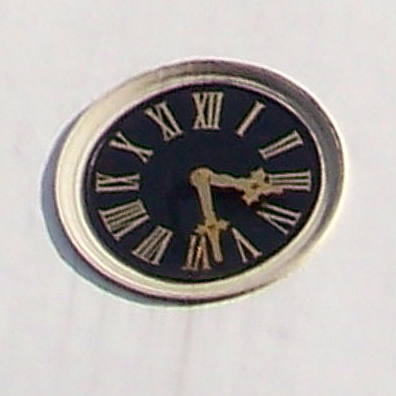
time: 3:28
